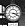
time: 3:19
